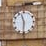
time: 11:30
